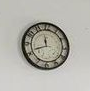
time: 11:41
